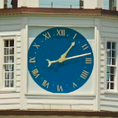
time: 1:12
